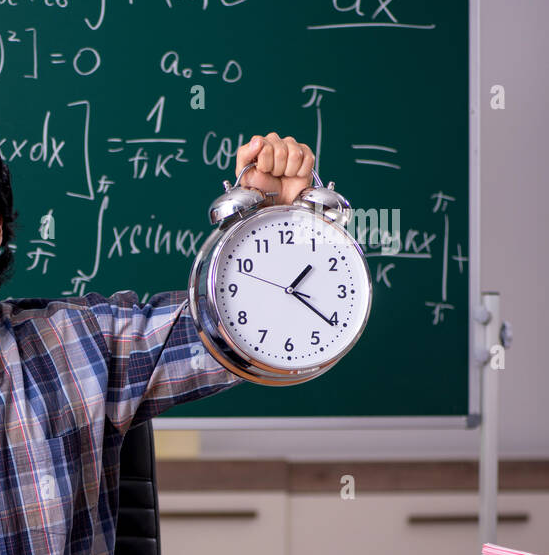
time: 1:21
